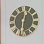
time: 12:30
